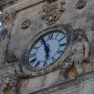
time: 5:55
